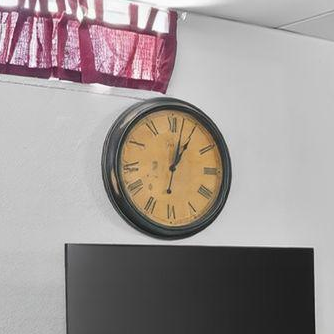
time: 1:02
